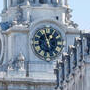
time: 12:57
